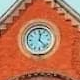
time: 12:22
